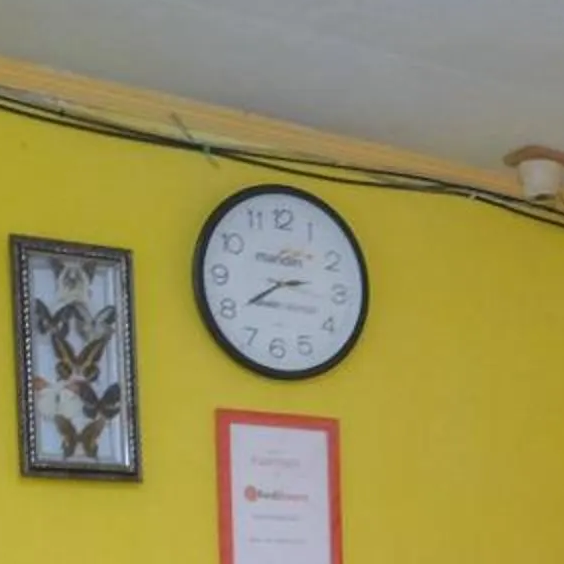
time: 2:39
